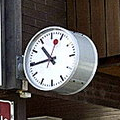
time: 10:44
